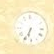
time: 6:34
